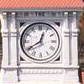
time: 12:40
